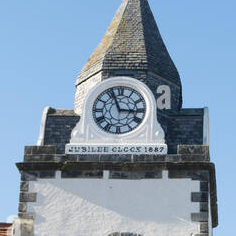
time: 2:56
